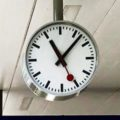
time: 11:07
